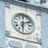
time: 6:10
